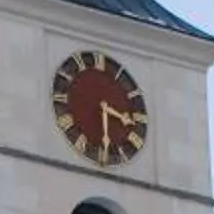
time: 3:29
